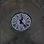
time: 12:23
